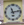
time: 11:13
